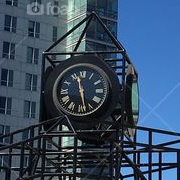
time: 11:28
